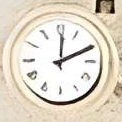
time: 12:10
